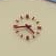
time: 4:43
